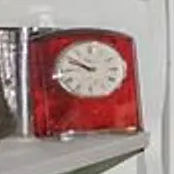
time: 9:50
